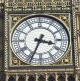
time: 3:34
